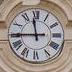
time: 11:44
